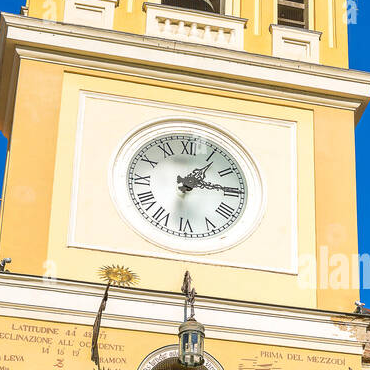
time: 1:14
